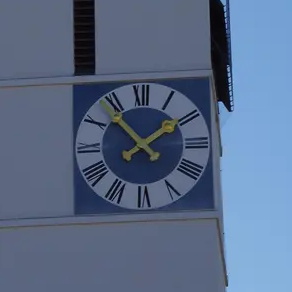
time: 1:53
